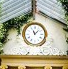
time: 11:07
